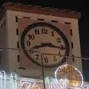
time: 8:16
